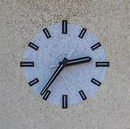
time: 2:36
